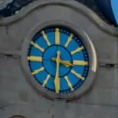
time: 3:30
